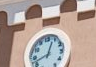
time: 12:42
